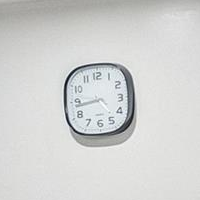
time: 4:43
